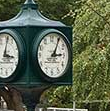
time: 3:04
